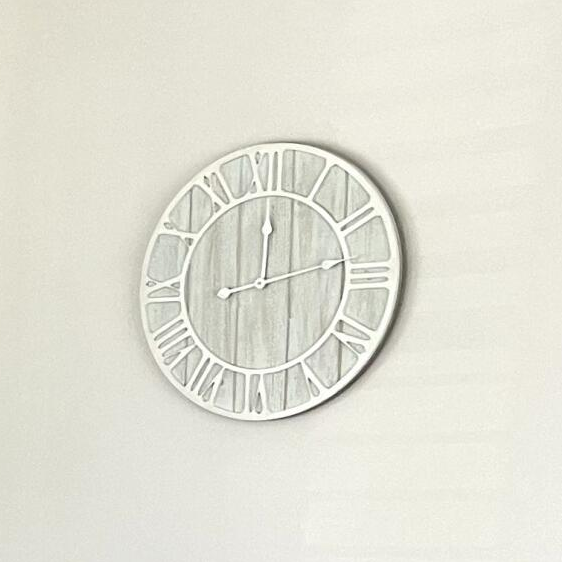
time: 12:13
